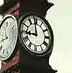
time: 8:58
